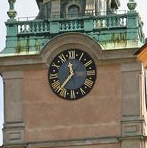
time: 11:35
